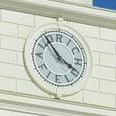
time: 3:53
